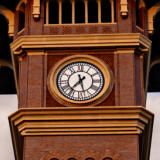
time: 11:36
